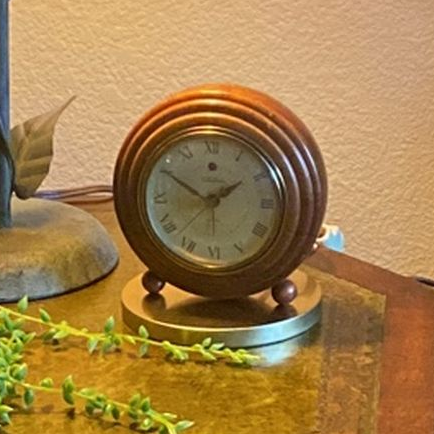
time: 1:50
